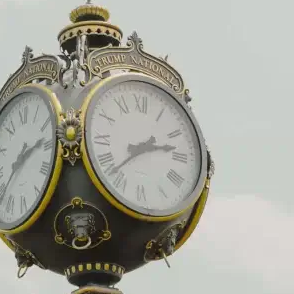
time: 2:37
